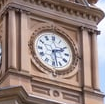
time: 2:27
